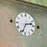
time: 2:33
